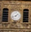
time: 1:42
